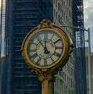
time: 11:53
